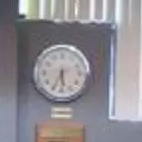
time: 5:34
